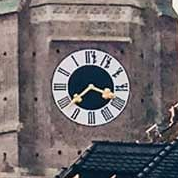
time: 3:38
